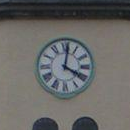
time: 4:01
